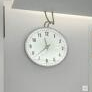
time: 11:37
